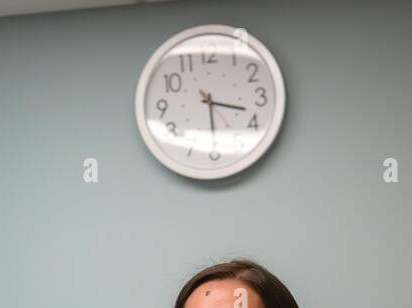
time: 3:29
